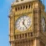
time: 12:24
